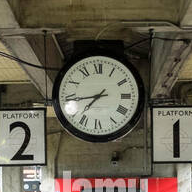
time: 7:43
